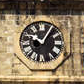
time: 10:05
